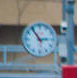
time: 2:54
